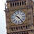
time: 10:23
